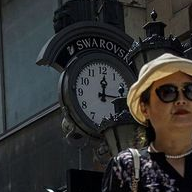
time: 12:14
